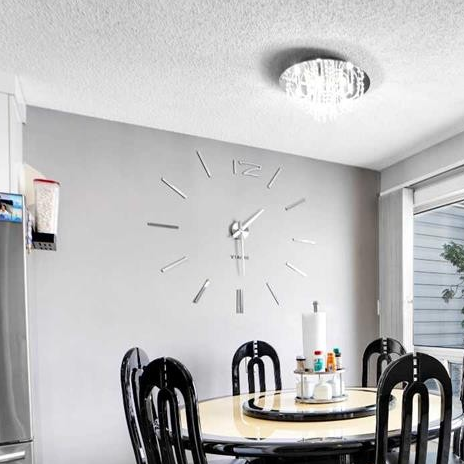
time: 1:29
